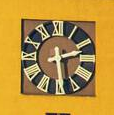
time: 2:29
